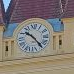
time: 10:23
